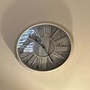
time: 10:24
